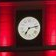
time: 7:13
